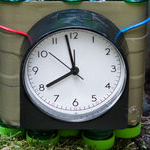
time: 7:57
